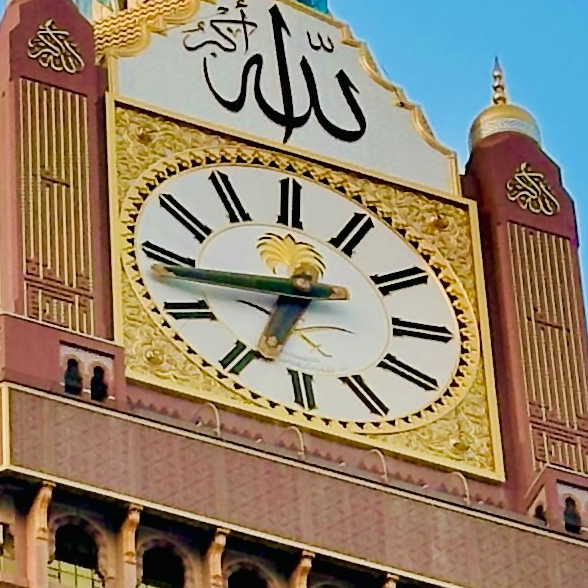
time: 6:43
